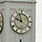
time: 9:57
